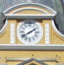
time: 1:39
